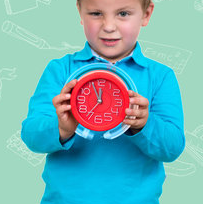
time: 11:55
